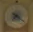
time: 7:21
